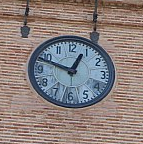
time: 12:48
